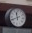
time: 11:40
